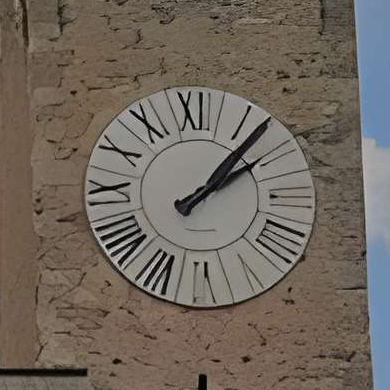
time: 2:07
